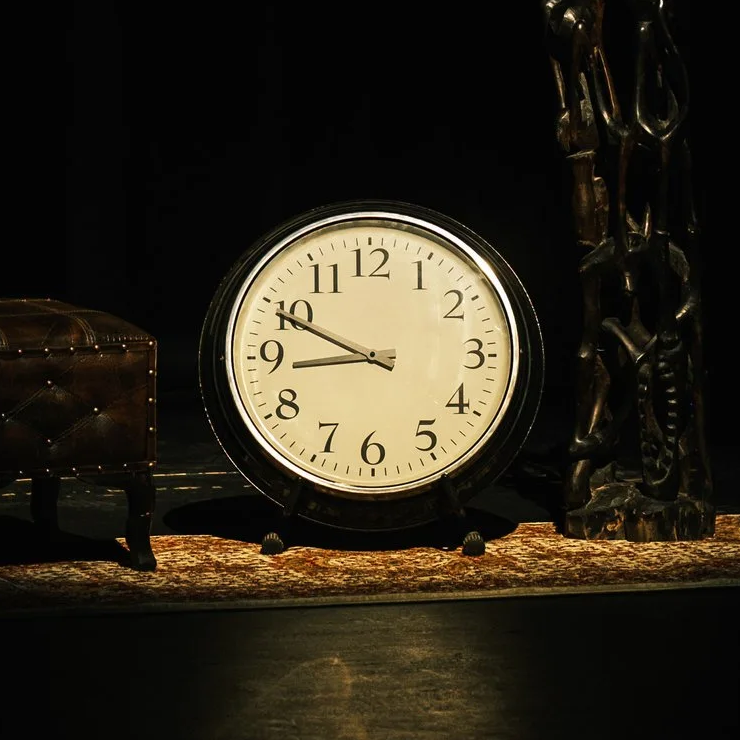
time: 8:49
